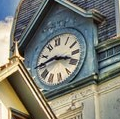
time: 3:44
